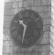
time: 10:31
